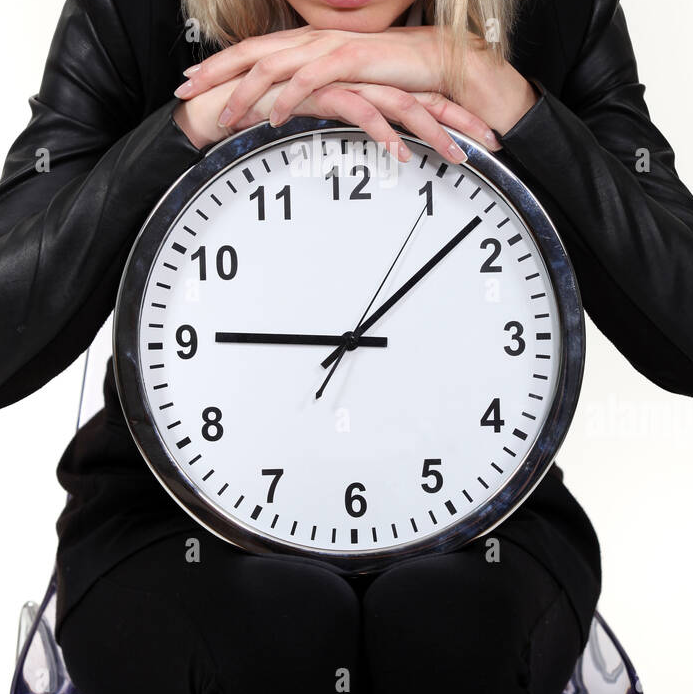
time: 9:08
